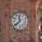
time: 11:38
